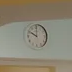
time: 10:00
